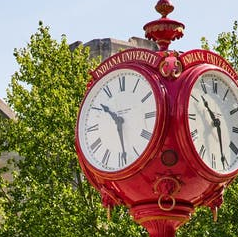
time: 10:28
